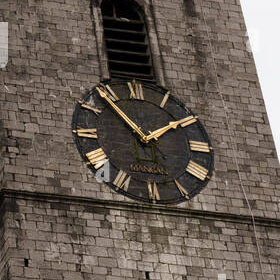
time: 1:53
